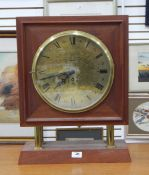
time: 7:42
